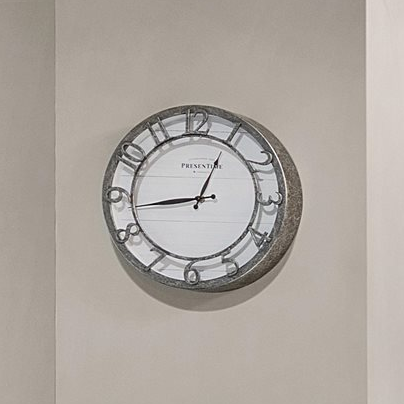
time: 12:43
